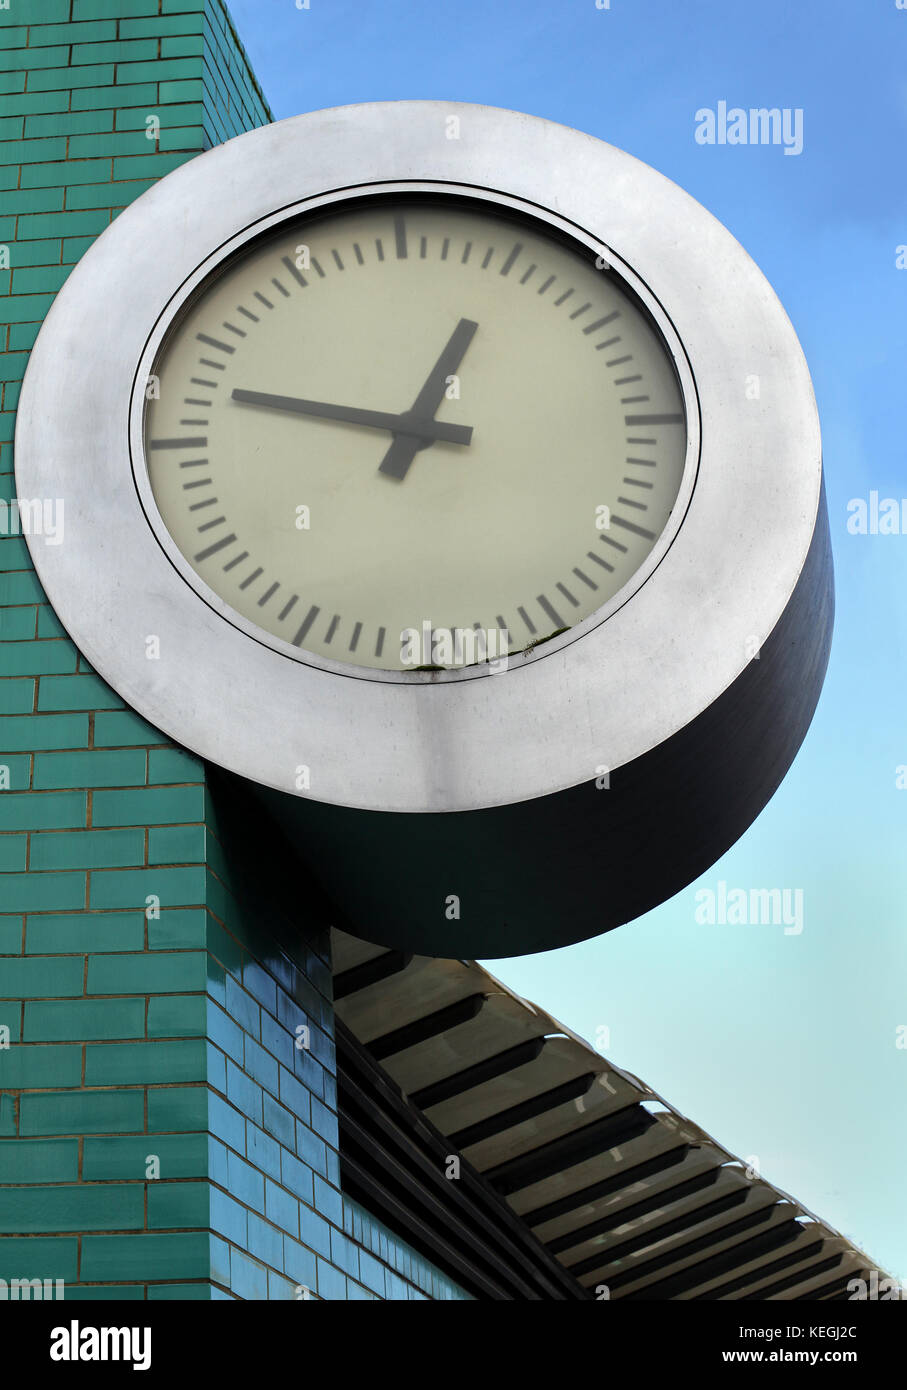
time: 12:47
